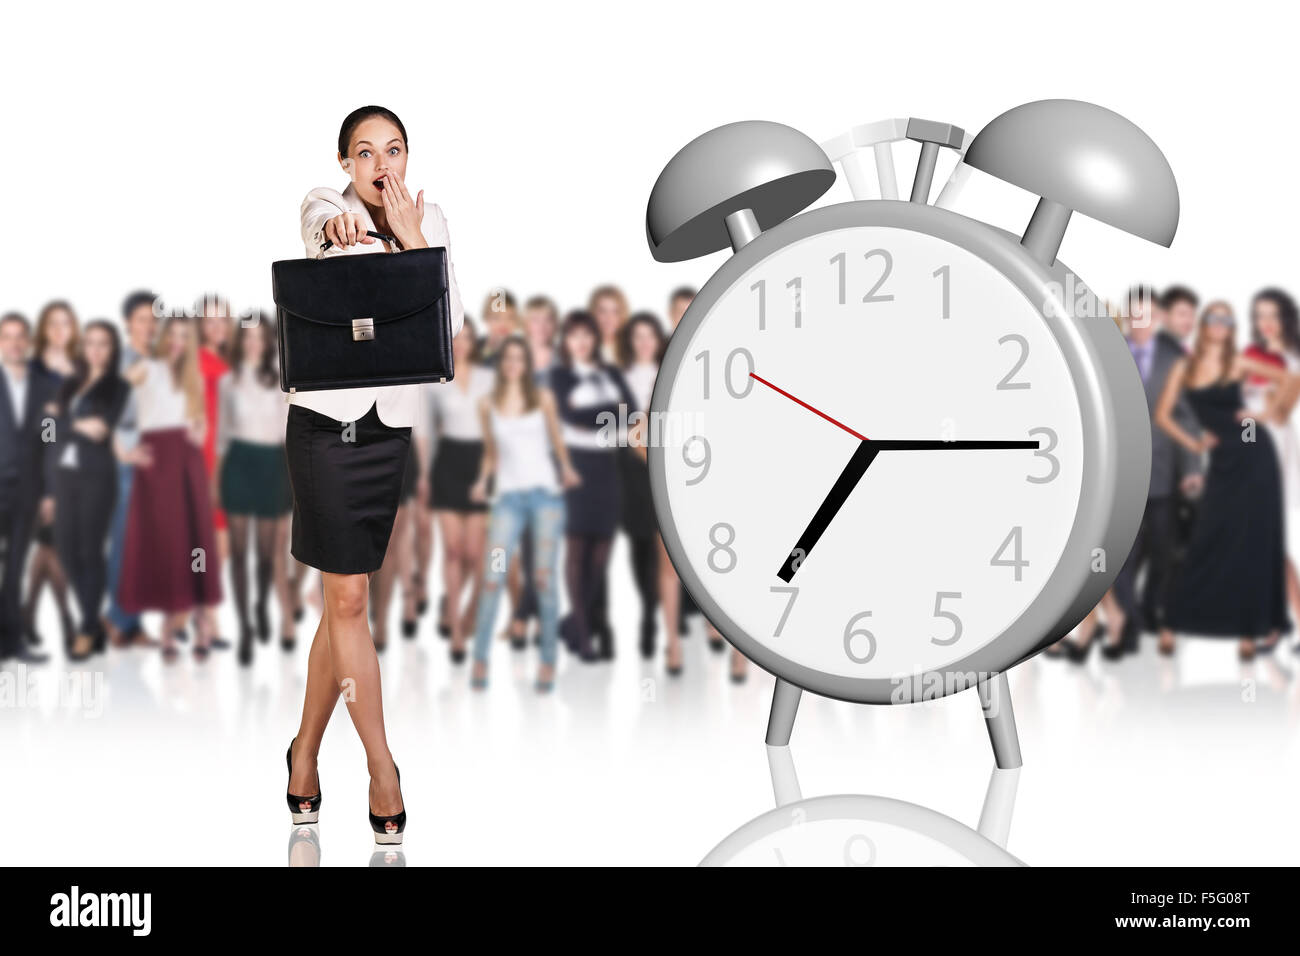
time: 7:15
